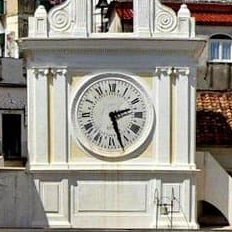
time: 2:27
